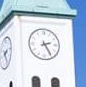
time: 2:24
